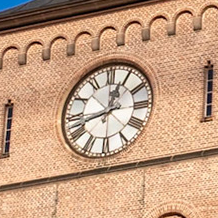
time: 12:42
